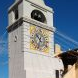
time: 10:32
